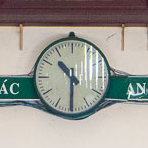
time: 10:30
